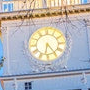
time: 6:24
